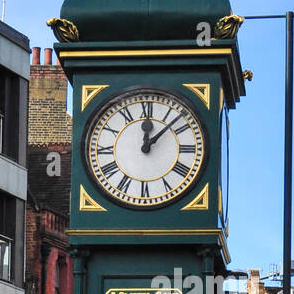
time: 12:07
